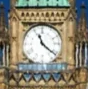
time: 11:21
